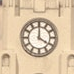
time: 4:00
